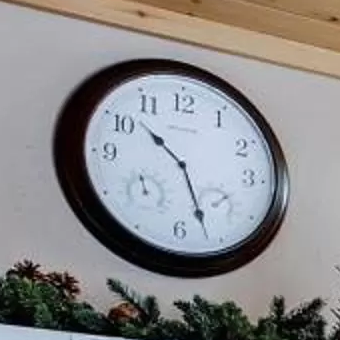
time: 10:26
